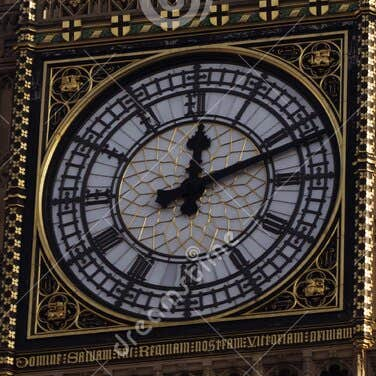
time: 12:11
